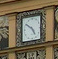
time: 4:50
